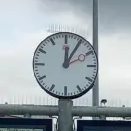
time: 12:05
